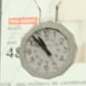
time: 10:52
